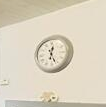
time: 12:26
